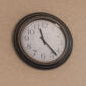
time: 11:22
